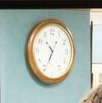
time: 10:35
